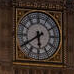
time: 5:40
